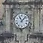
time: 11:07
